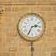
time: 2:34
